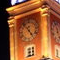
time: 4:53
